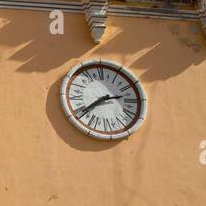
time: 2:38
